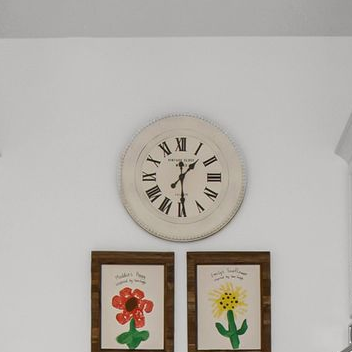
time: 1:29
